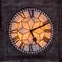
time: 5:11
